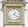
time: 1:22
